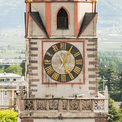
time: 5:05
